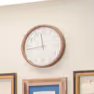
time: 11:43
